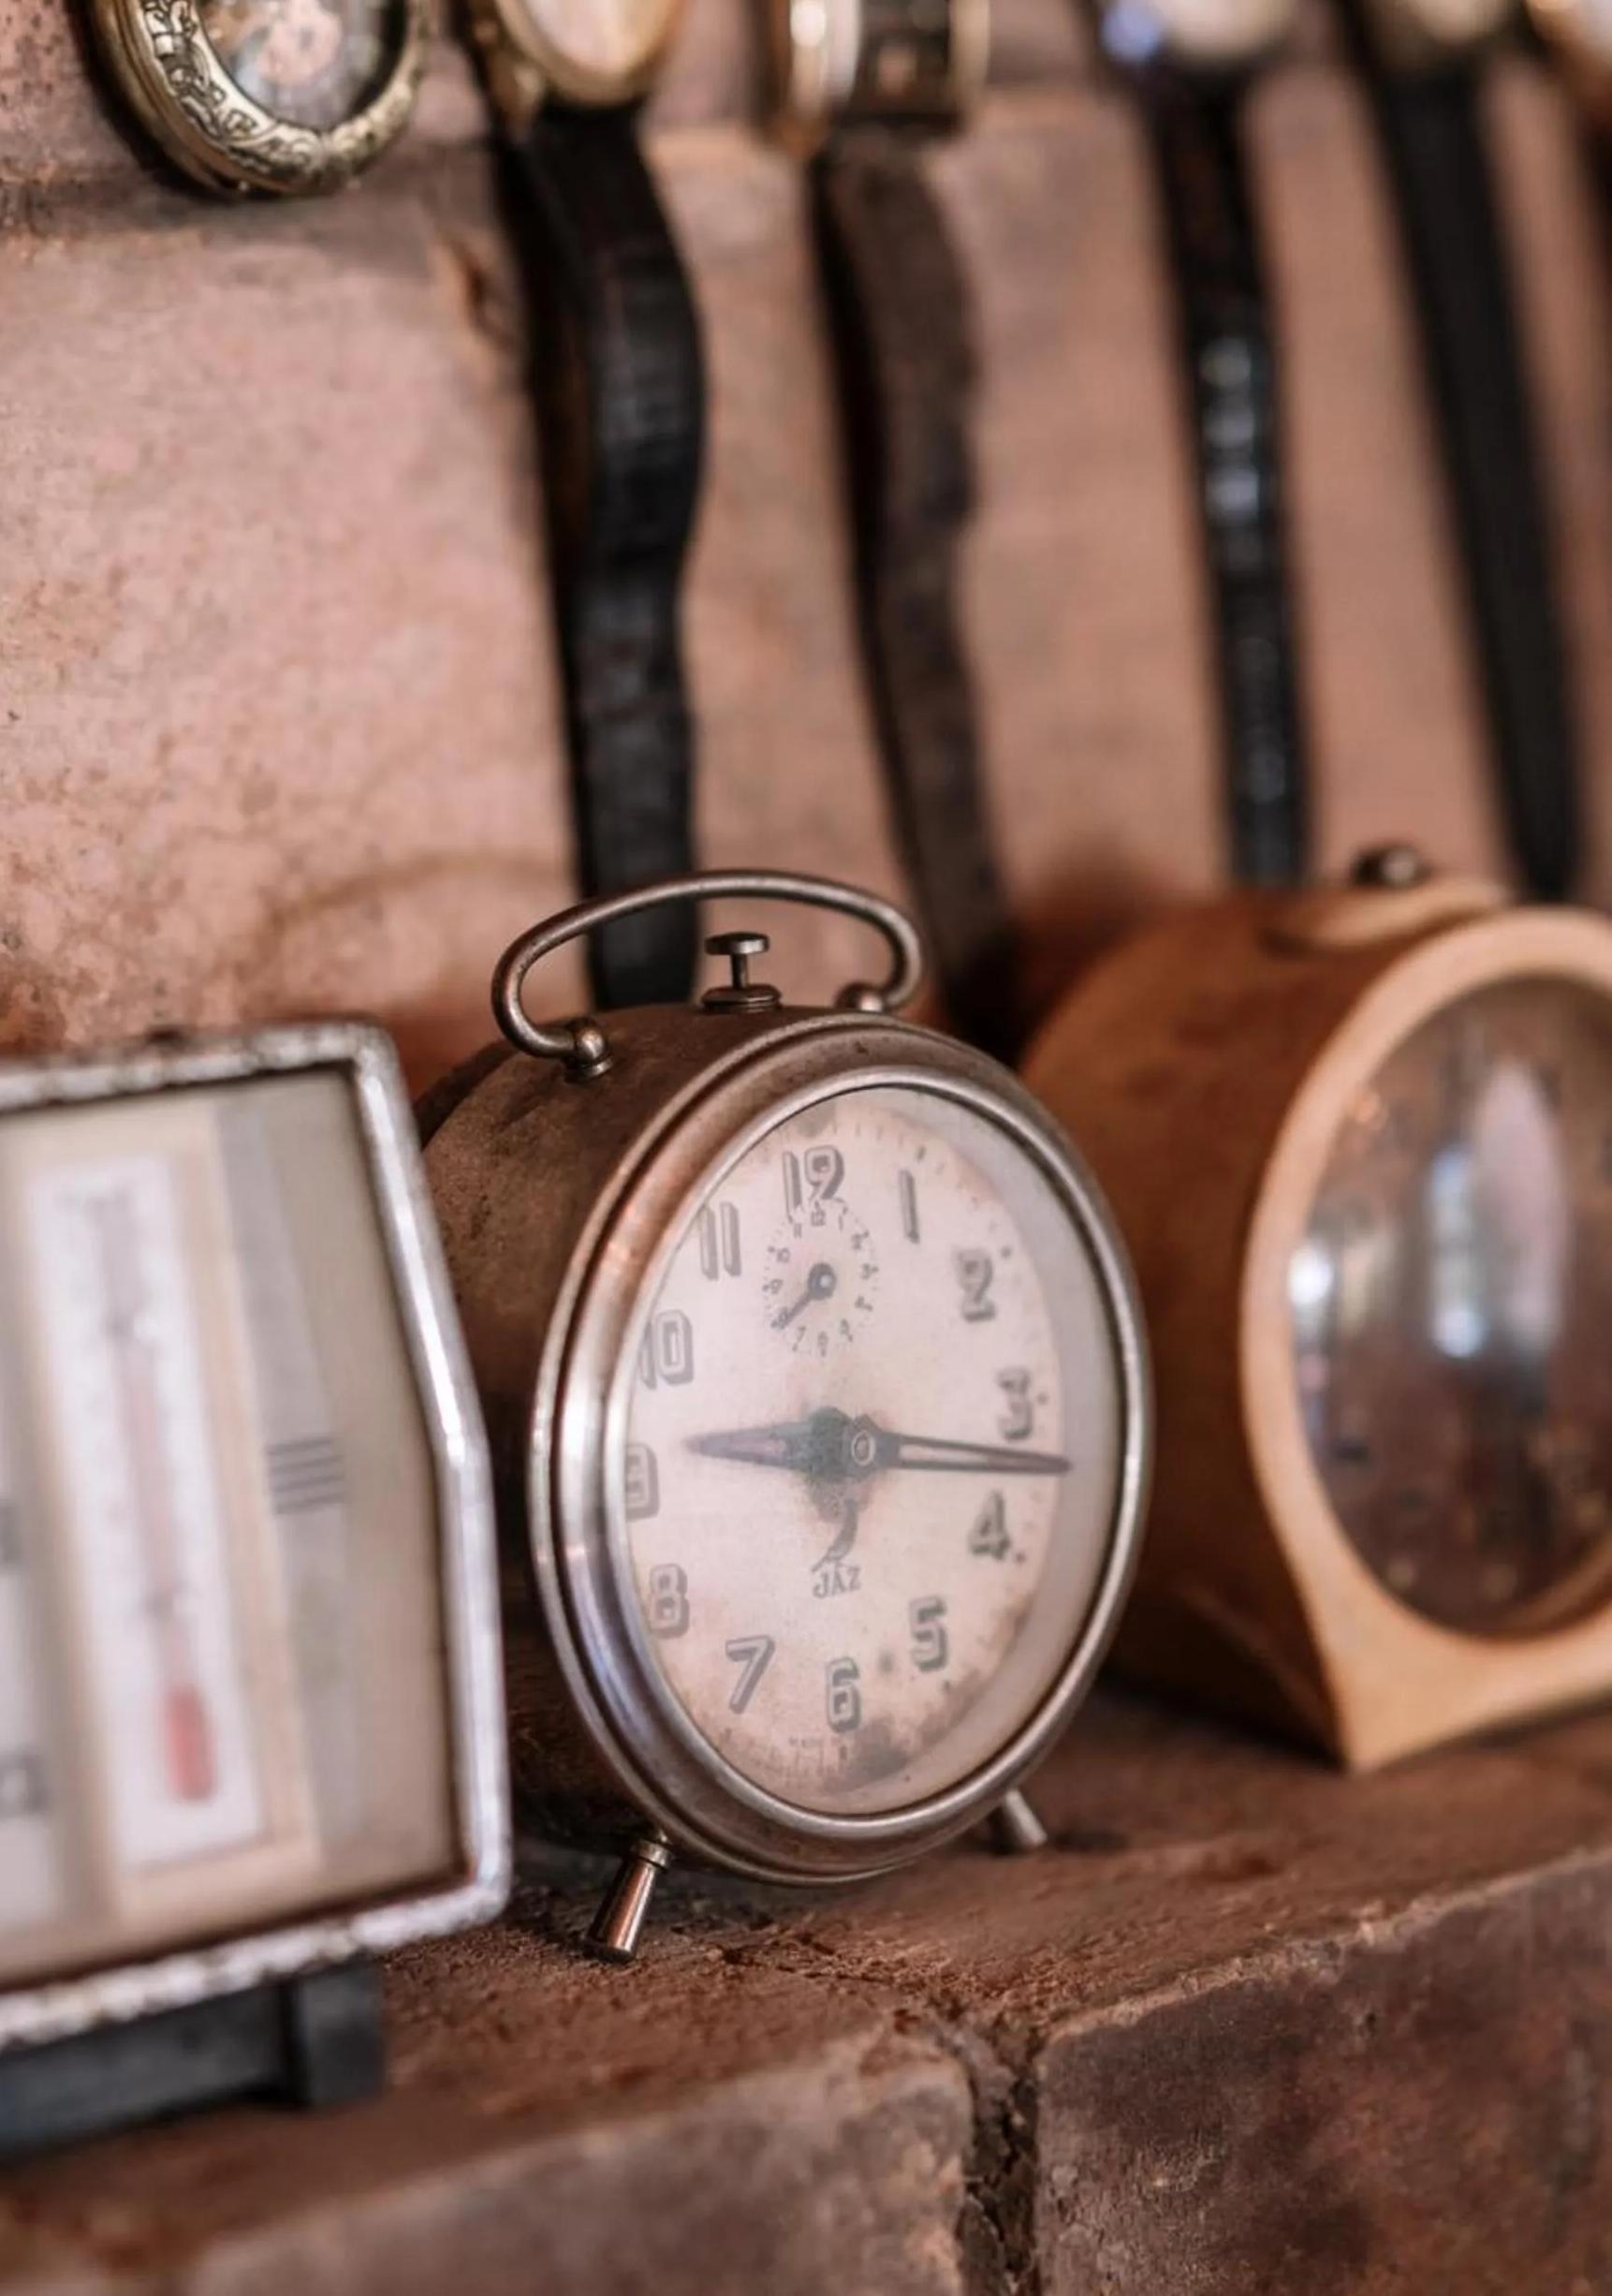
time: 9:17
